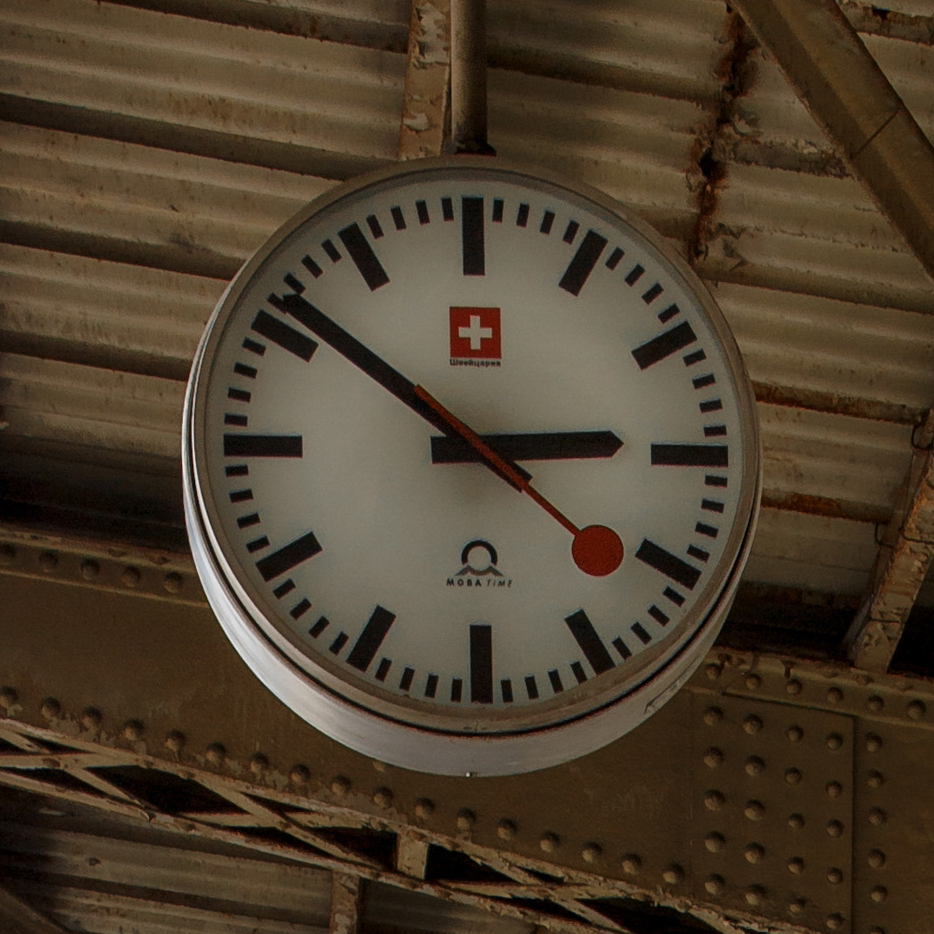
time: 2:51
